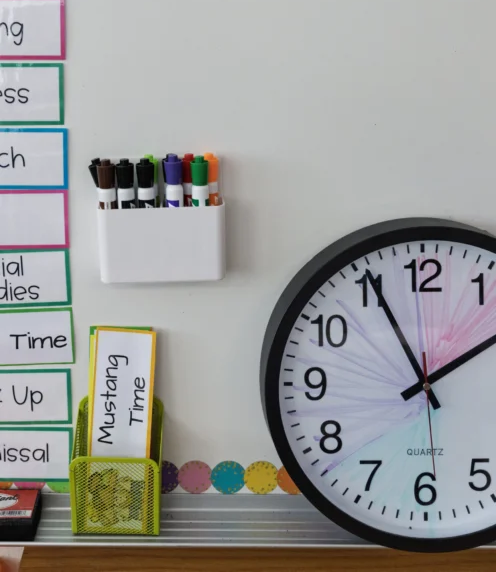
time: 1:55
